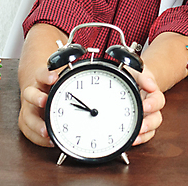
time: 9:51
